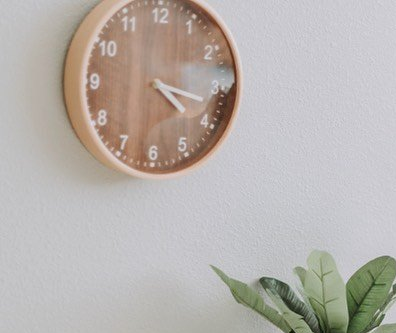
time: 4:17
